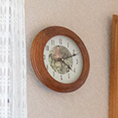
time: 4:11
